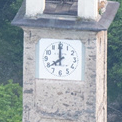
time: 7:59
